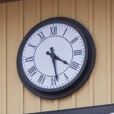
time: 4:28
